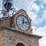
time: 12:12
